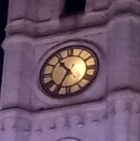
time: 10:34
